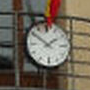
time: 1:50
